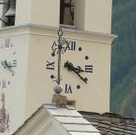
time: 3:21
